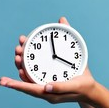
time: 3:58
